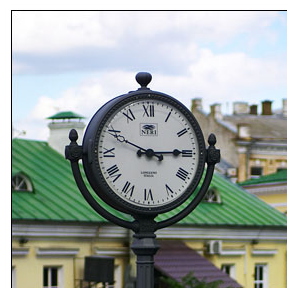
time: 2:49
